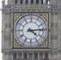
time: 4:13
